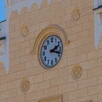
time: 2:18
